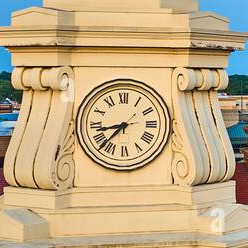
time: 8:37
